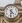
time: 4:31
